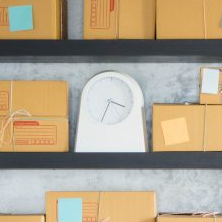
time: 3:34
